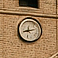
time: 11:42
